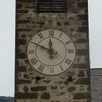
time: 11:49
